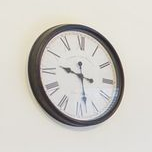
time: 9:28
